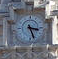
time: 3:26
